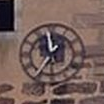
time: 11:35
